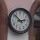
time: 2:52
